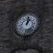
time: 1:02
